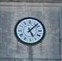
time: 5:07
